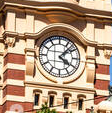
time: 4:07
